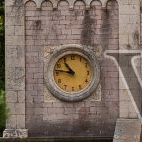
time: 10:47
